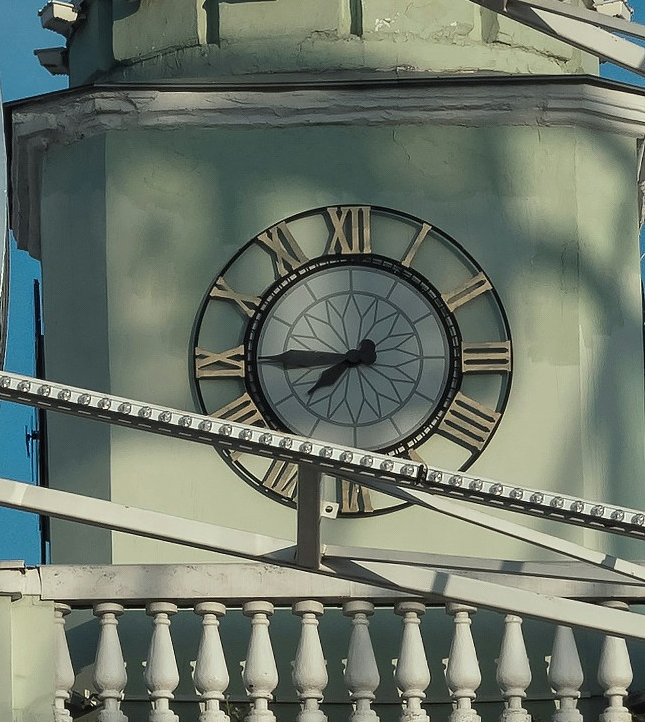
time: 7:44
